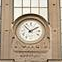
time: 1:52
